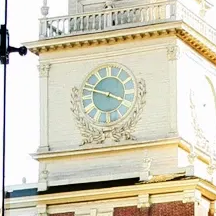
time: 3:48
